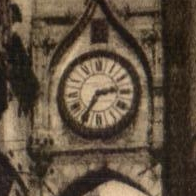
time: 2:35
